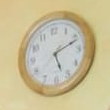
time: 5:11
